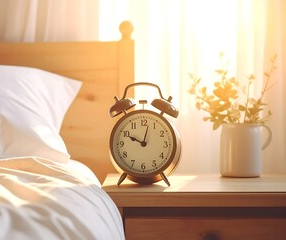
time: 10:02
